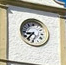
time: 8:36
